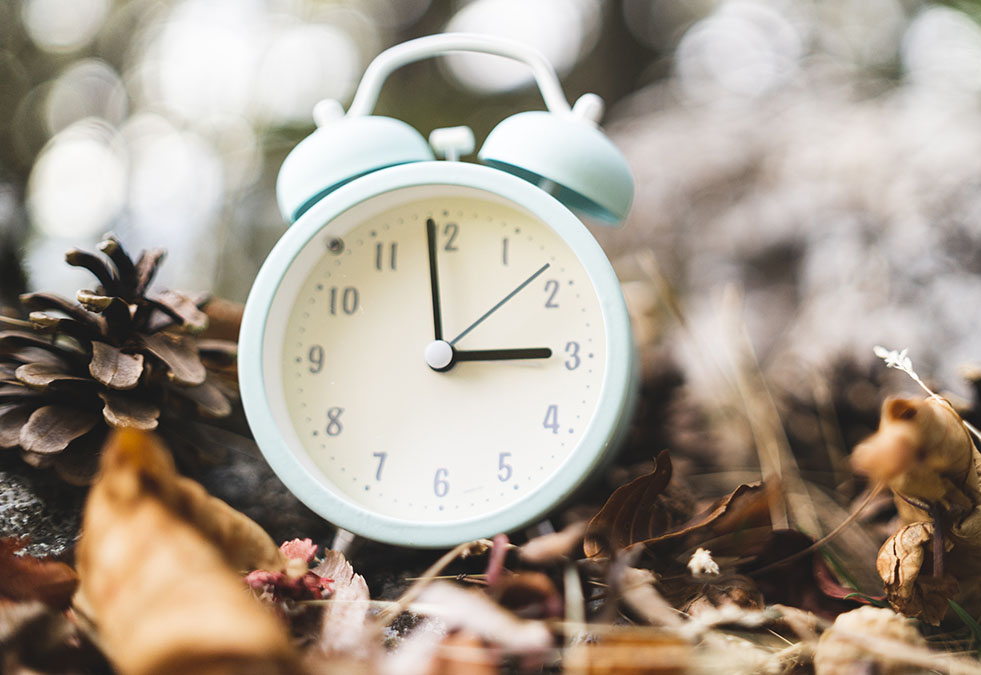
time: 2:59
